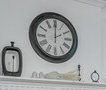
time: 2:00
